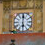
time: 6:00
